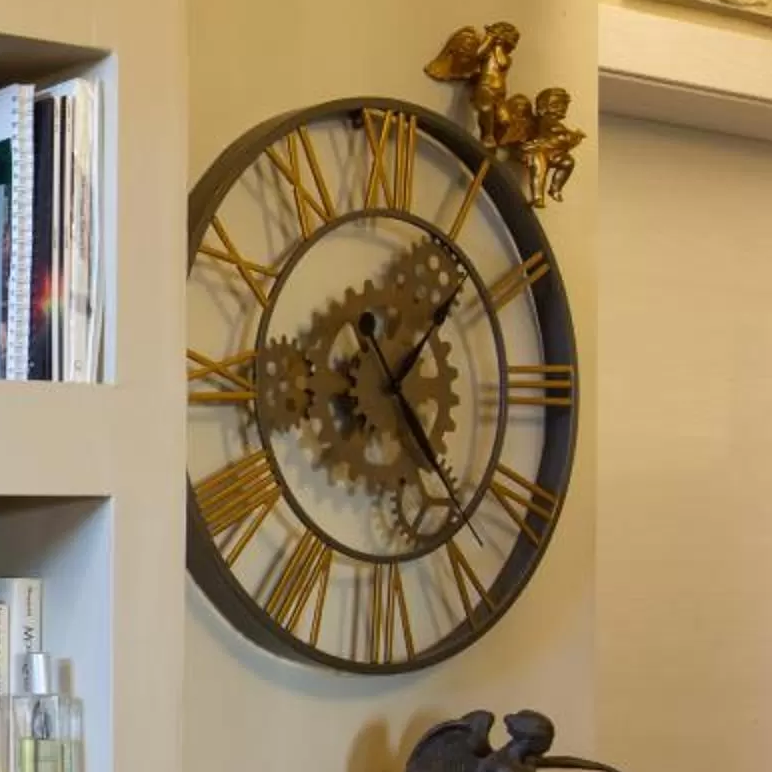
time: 1:23
